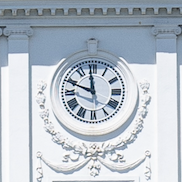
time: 11:48
